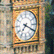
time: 7:19
